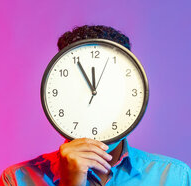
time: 11:55
